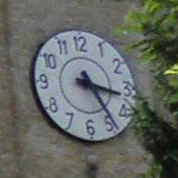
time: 3:24
